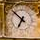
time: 6:52
